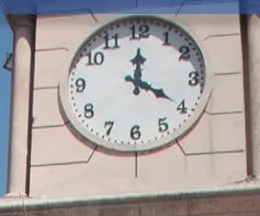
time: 4:00
